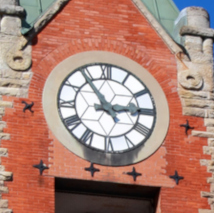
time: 2:54
